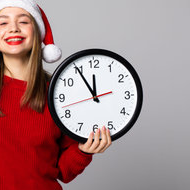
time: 11:54
